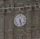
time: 5:26
